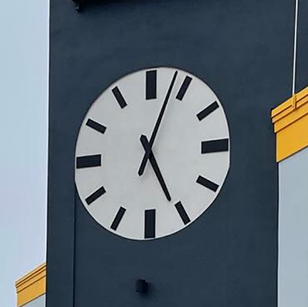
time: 5:03
